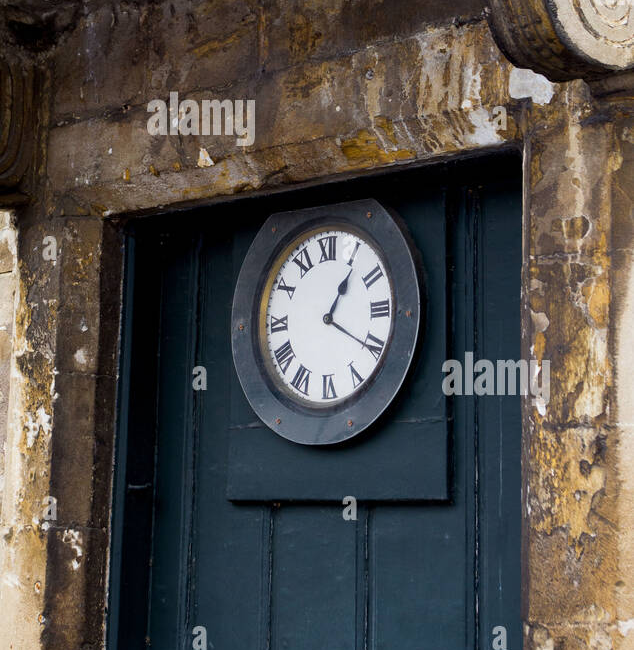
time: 1:20
